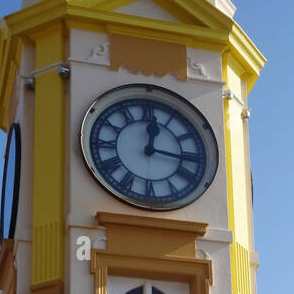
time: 12:16
